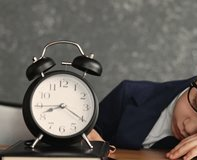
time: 8:20
